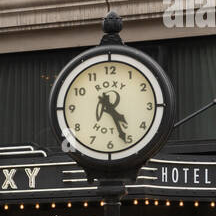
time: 4:26
